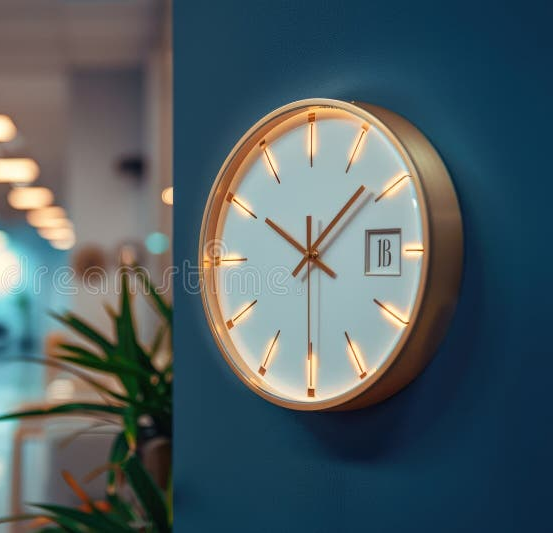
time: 10:07
